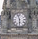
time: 5:57
